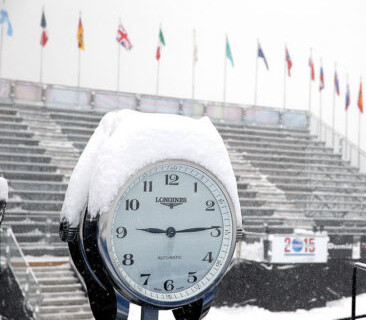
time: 9:14
